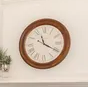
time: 11:20
